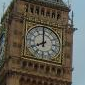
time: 7:59
